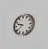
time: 9:38
